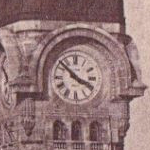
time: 3:52
